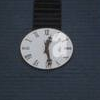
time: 12:28
